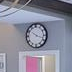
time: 10:18
